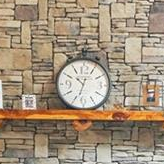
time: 10:32
